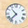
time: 10:37
